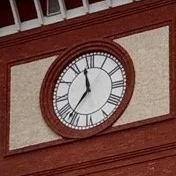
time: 11:36
